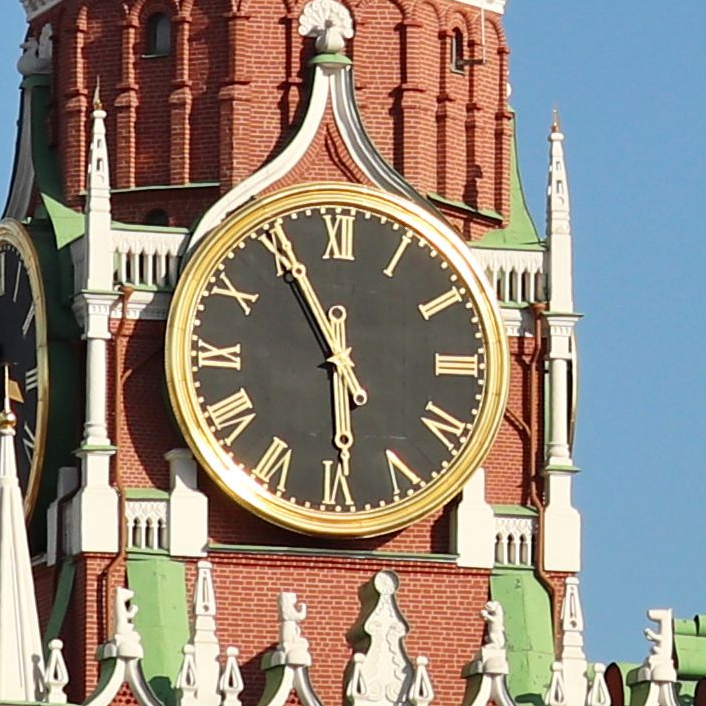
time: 5:55
